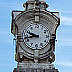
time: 9:43
